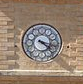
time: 4:17
